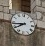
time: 7:43
